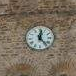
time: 12:23
